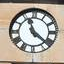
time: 11:21
